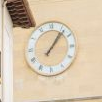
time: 1:06
